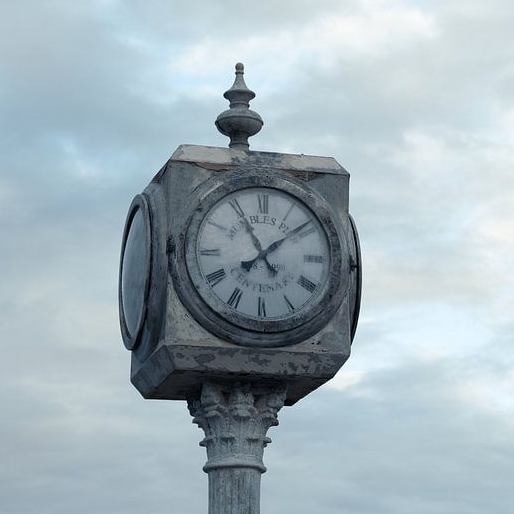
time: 11:08
